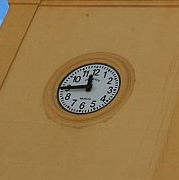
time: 11:44
